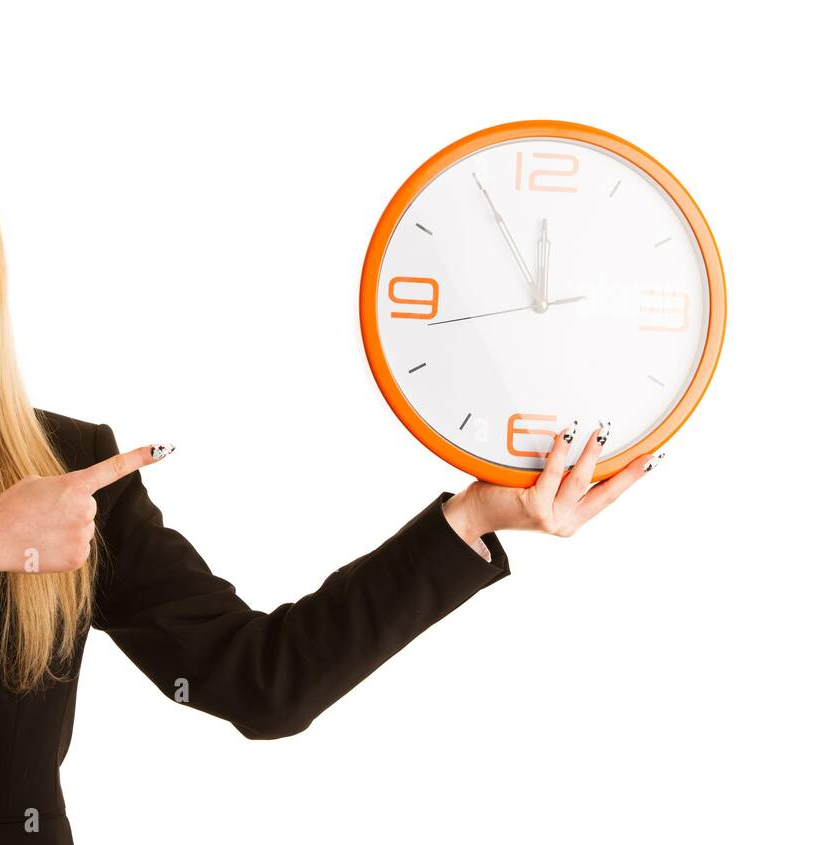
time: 11:55
